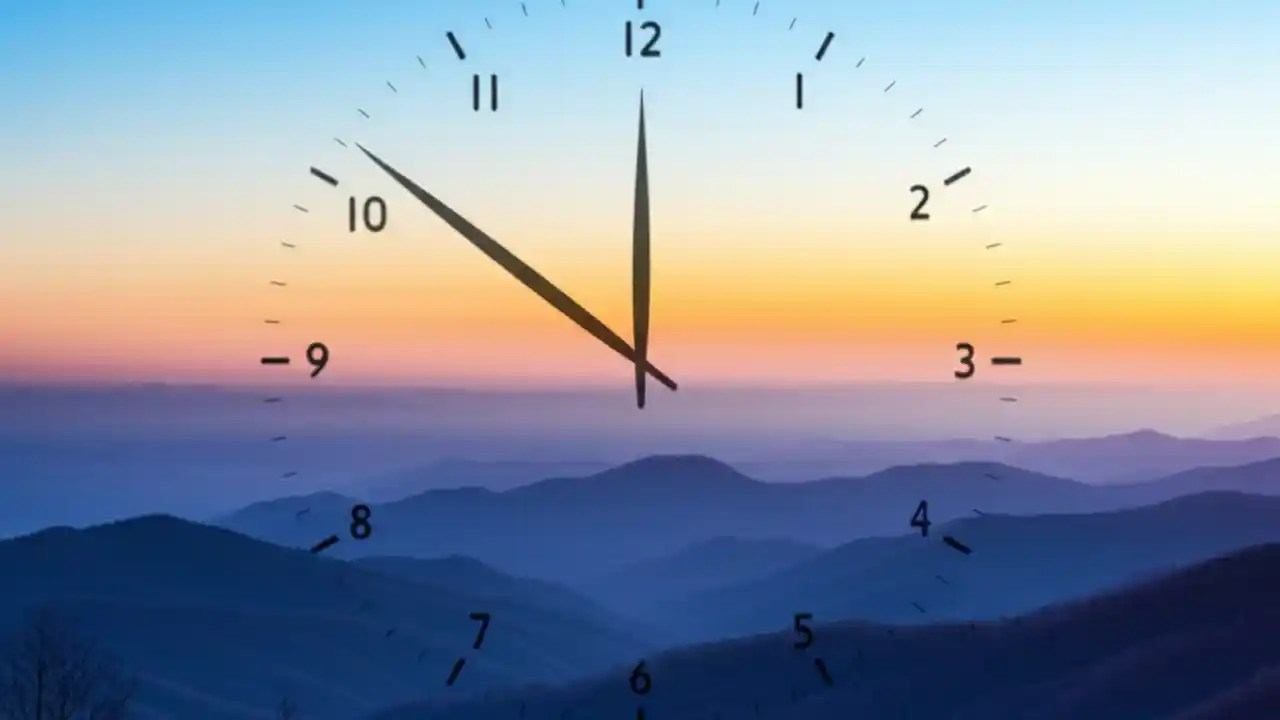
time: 11:51
